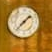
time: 1:37
